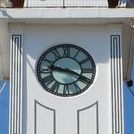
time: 9:18
